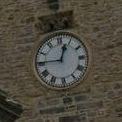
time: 12:45
